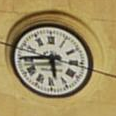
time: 5:44
